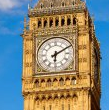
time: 6:10
